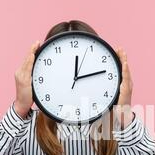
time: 12:13
